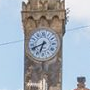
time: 6:41
